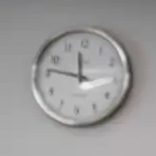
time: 11:46
